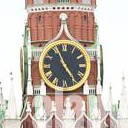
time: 4:56
